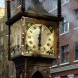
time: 6:01
